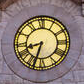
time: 8:33
